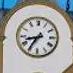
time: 8:35
